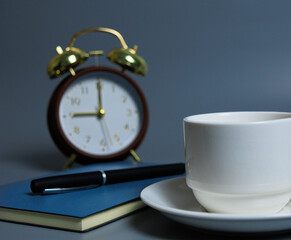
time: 9:00
